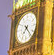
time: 7:23
